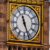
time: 11:26
